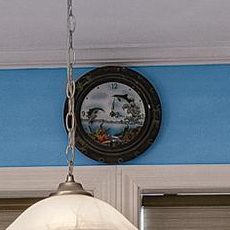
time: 12:16
